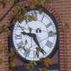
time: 9:25
